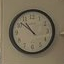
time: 10:51
